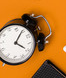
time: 4:04
